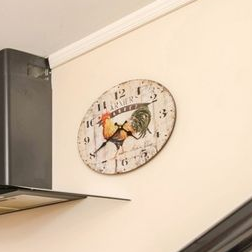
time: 4:39
